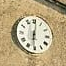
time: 6:01
